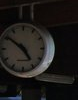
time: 4:50
